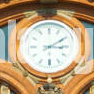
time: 3:09
